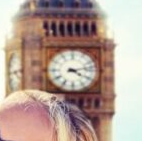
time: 4:12
